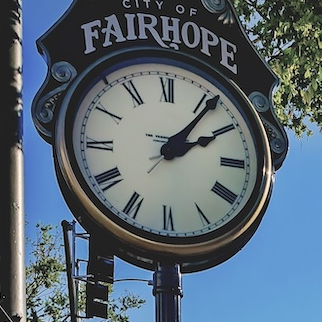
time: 2:06
